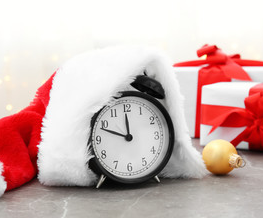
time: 11:48
